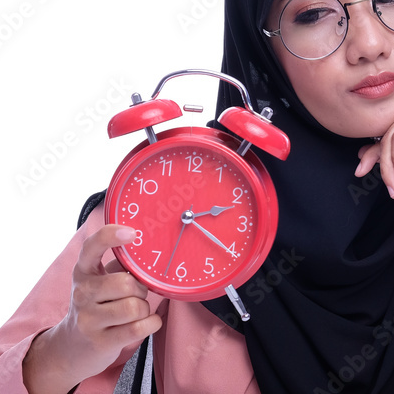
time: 2:20
